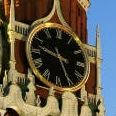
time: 9:25
